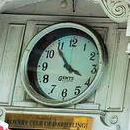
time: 3:53
